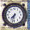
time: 7:32
